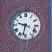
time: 9:32
